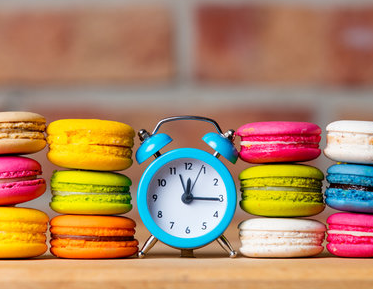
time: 12:15
